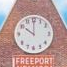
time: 10:00
